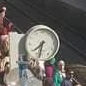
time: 7:32
